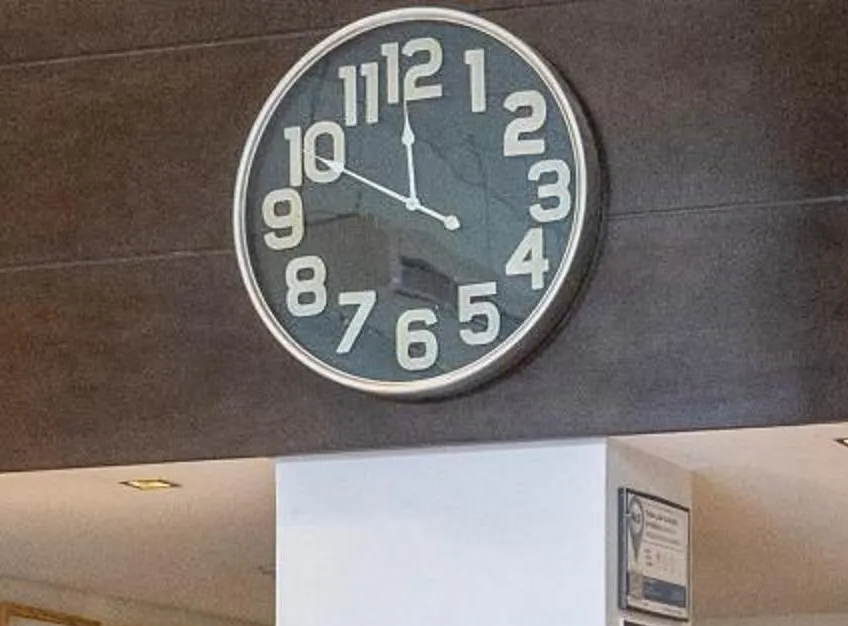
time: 11:49
